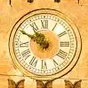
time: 10:49
